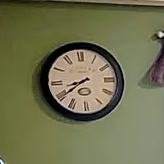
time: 8:39
